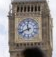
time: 11:41
